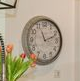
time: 11:11
